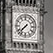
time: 7:37
